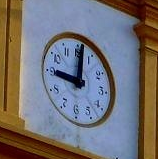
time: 9:01
